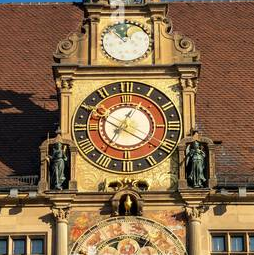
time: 7:04
